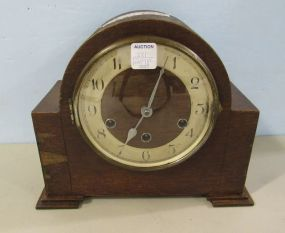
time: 12:34
